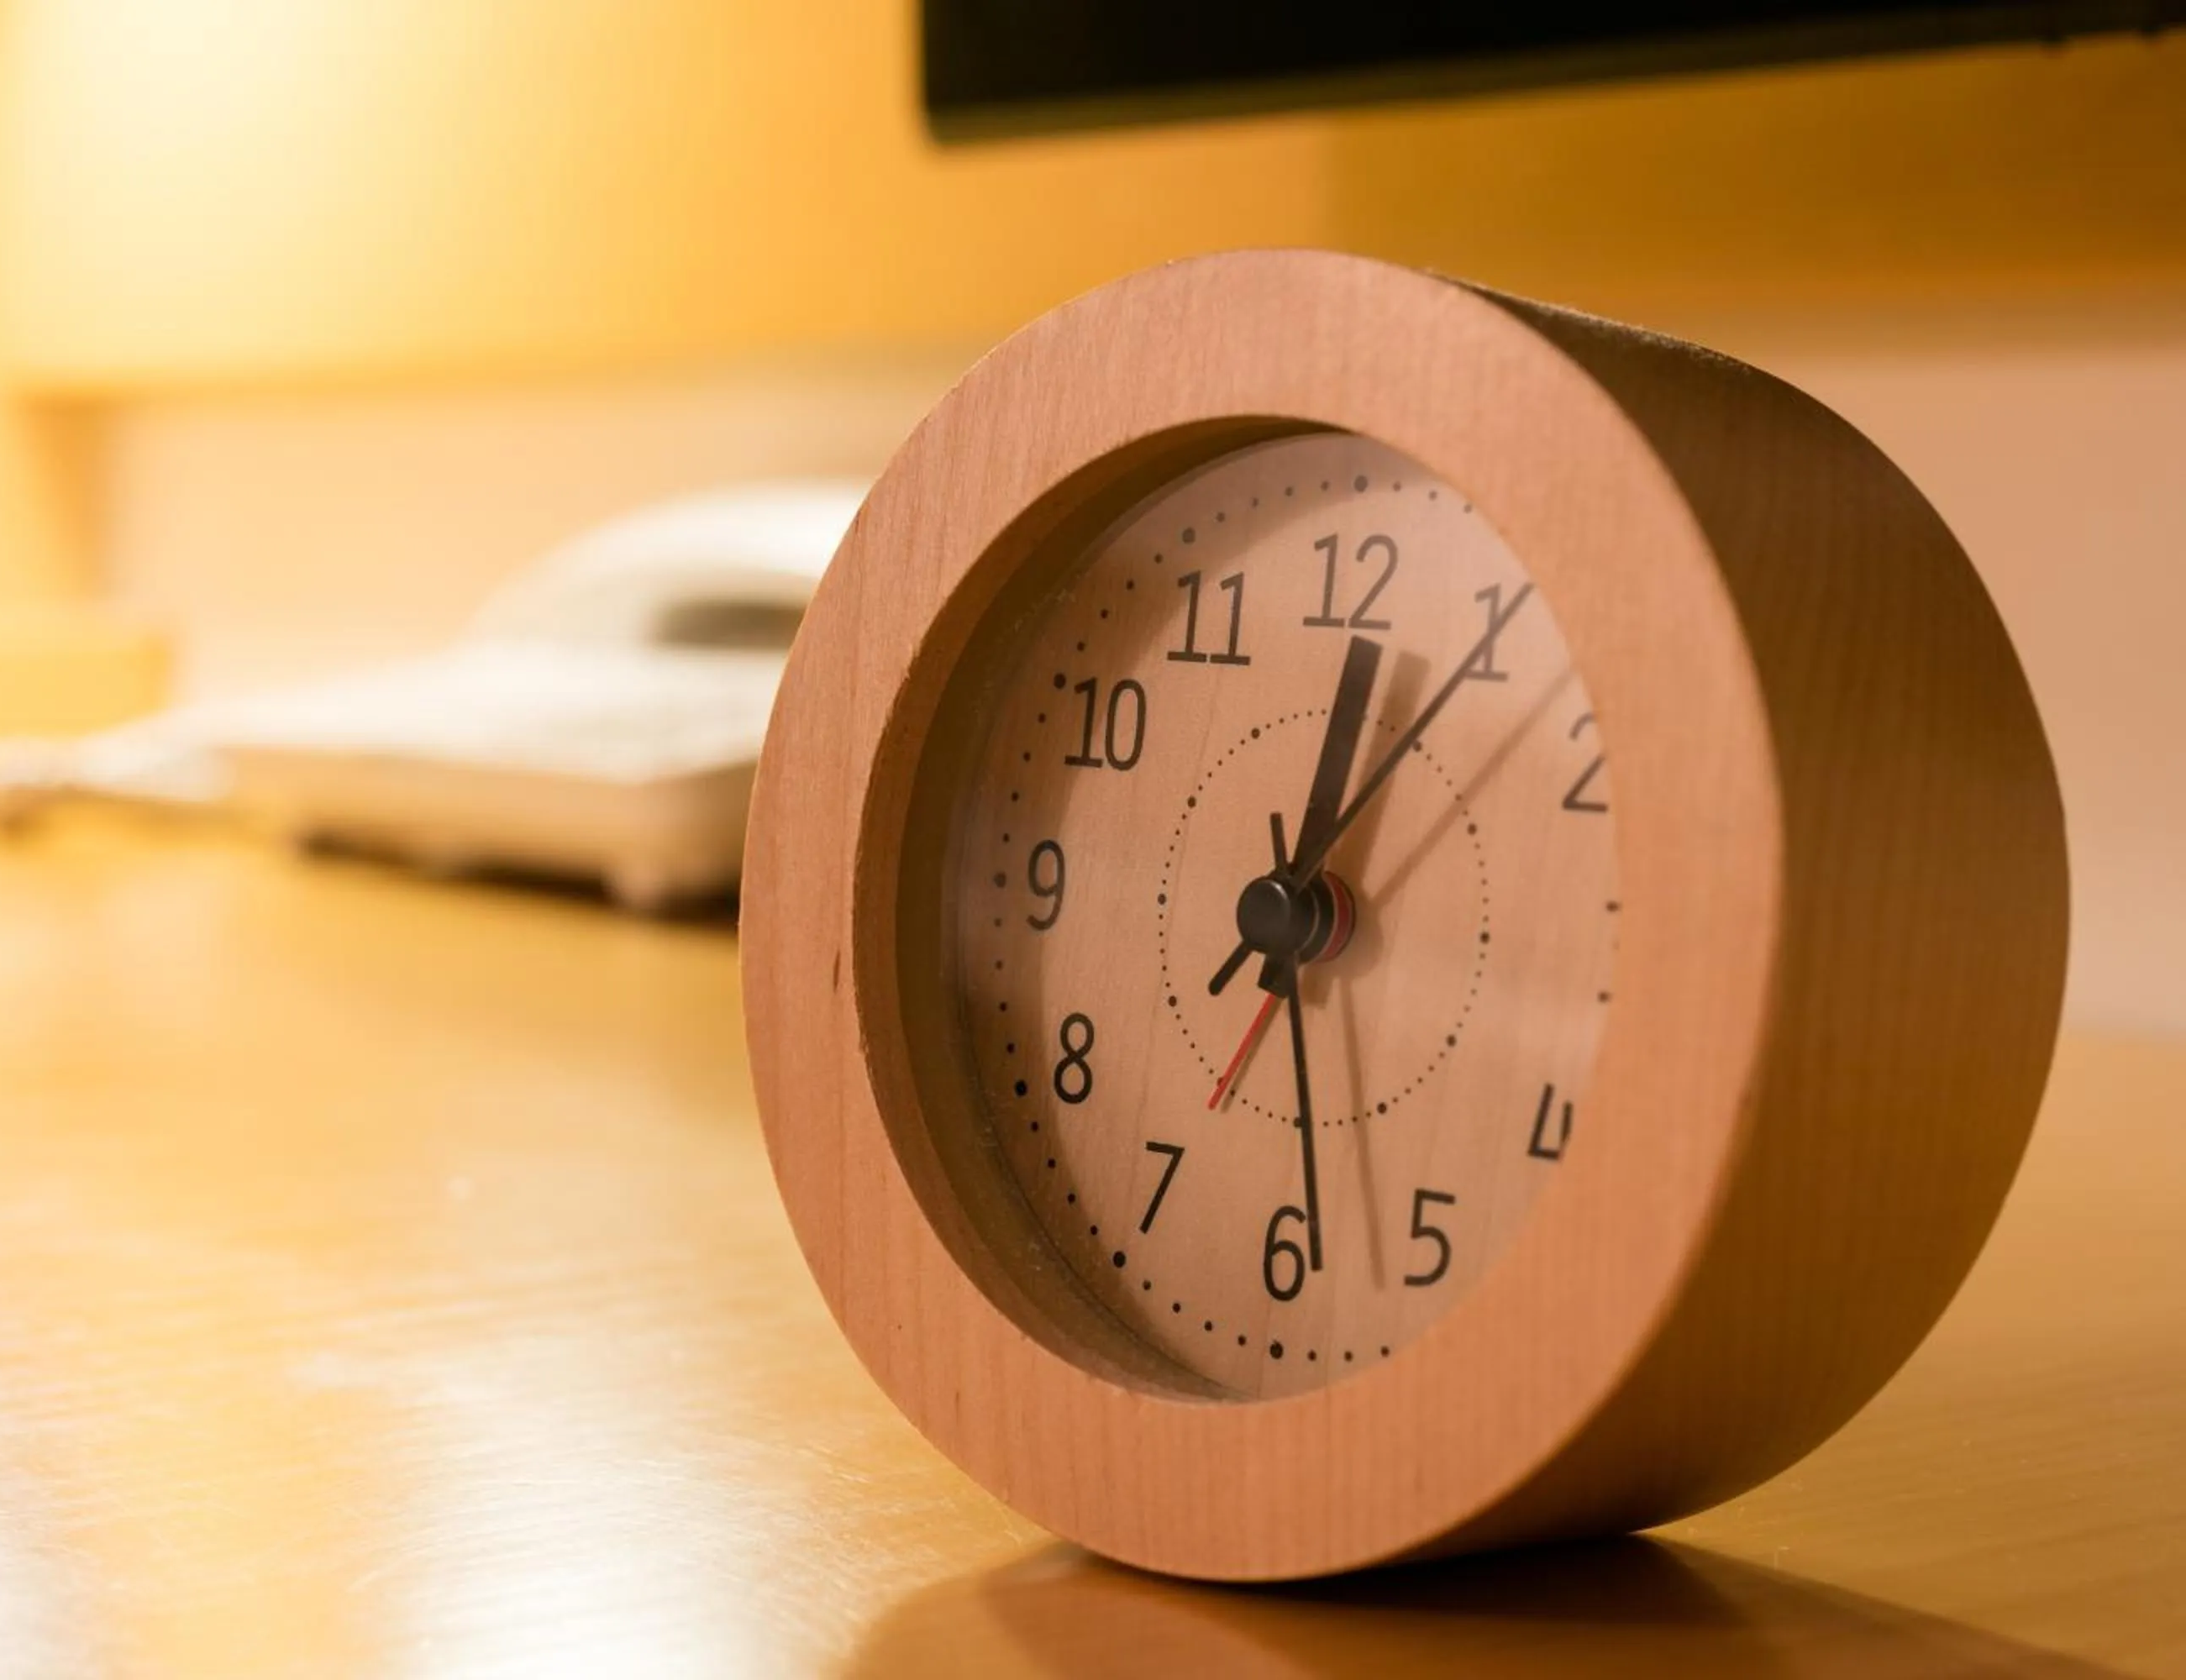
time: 12:28
